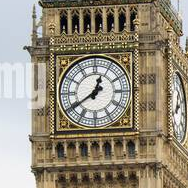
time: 12:39
